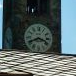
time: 3:40
